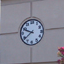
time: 9:38
